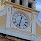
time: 12:32
